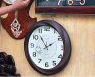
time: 1:53
